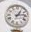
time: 1:13
